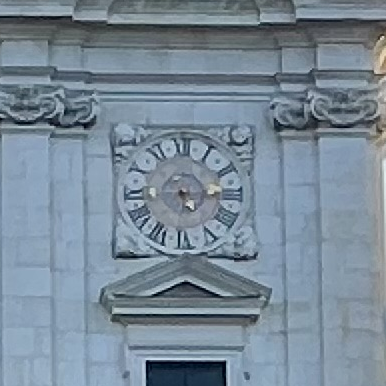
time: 5:14
